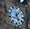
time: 5:06
